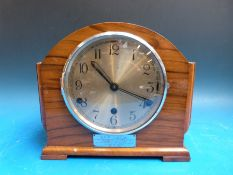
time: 10:18
